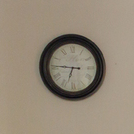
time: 6:45
